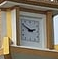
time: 2:49
